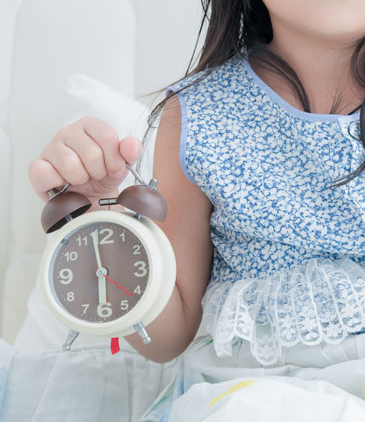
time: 5:58
